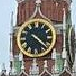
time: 4:21
